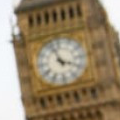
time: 3:57
